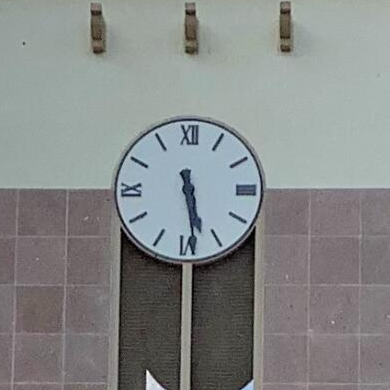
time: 5:28
